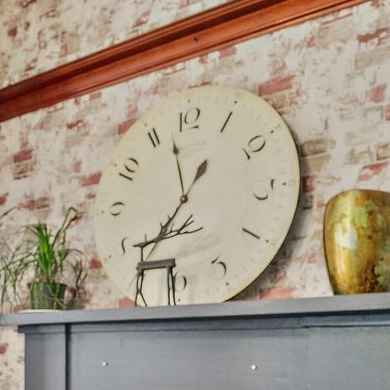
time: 11:35
